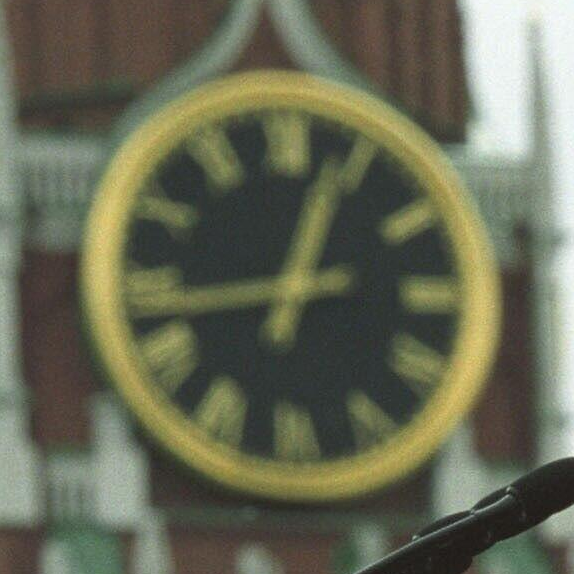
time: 12:42
